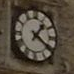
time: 1:20
